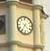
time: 4:35
